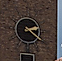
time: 2:21
